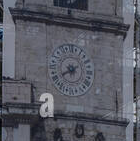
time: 6:40
